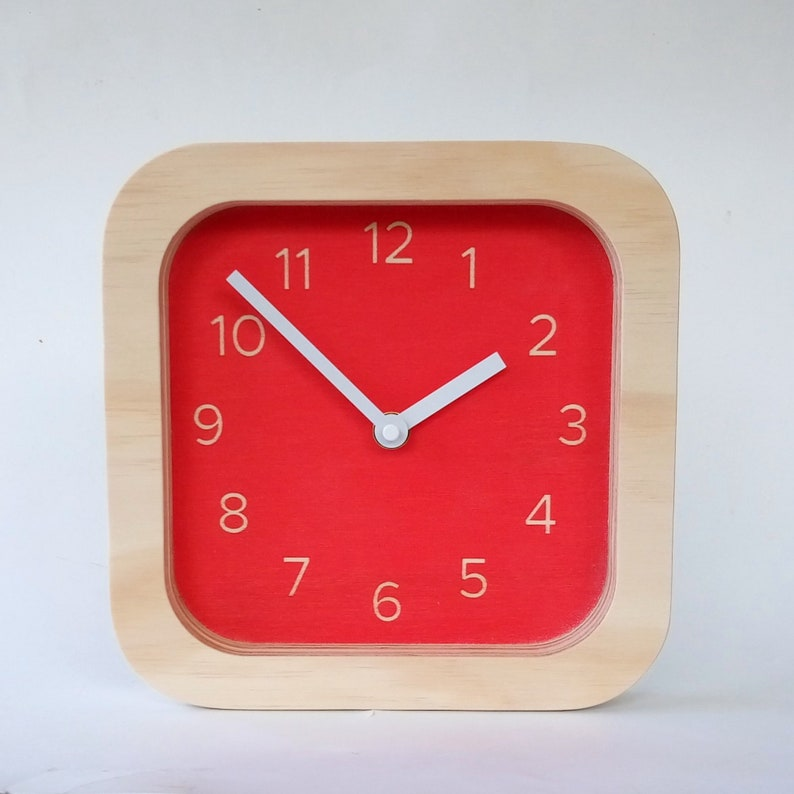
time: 1:52
